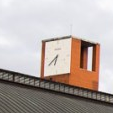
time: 6:39
